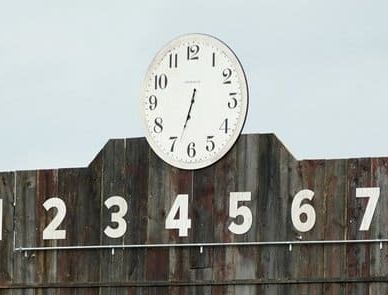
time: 6:33
